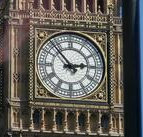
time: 2:53
